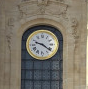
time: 9:21
